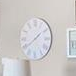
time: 1:39
